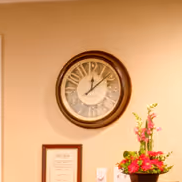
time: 12:08
